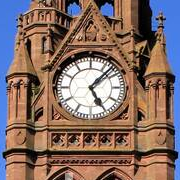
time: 5:07
